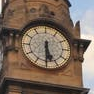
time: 5:30
